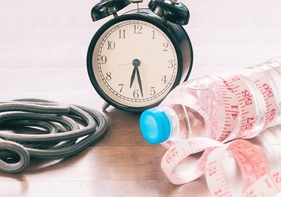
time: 6:28
